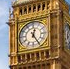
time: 12:24
